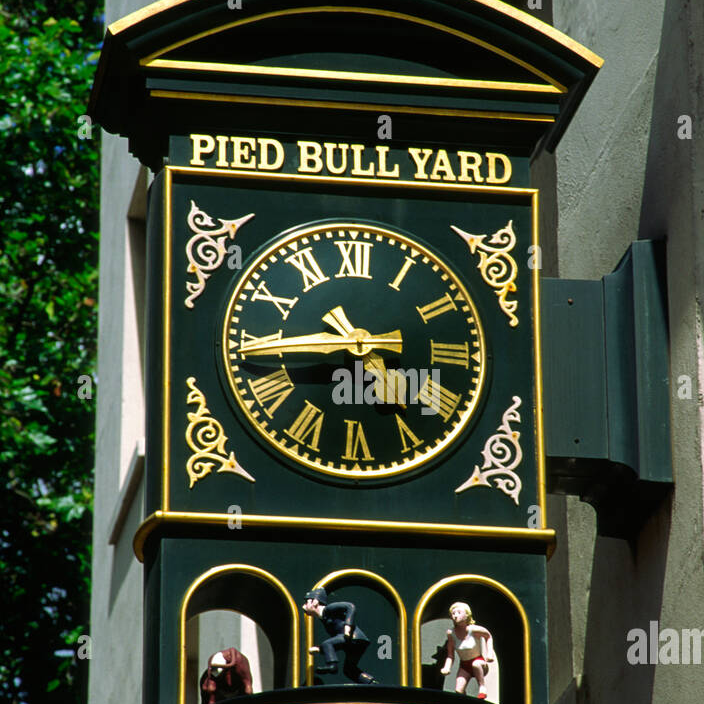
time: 10:44
